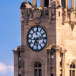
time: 7:13
